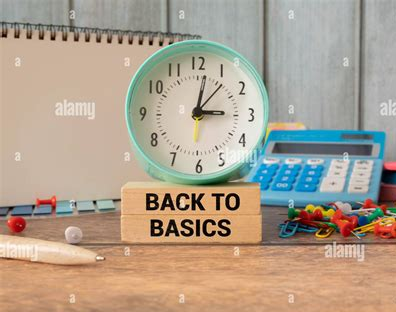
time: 3:01
